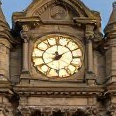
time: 1:39
